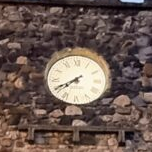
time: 7:40
